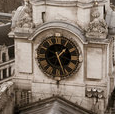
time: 1:26
